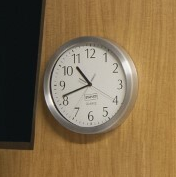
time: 10:41
